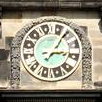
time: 3:04
